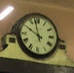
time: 9:57
